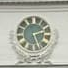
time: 2:26
